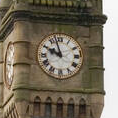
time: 9:57
